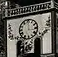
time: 12:16
